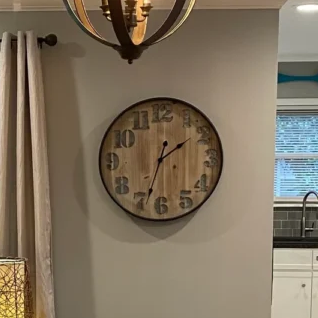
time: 1:33
